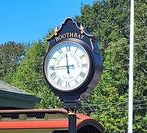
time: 11:44
